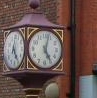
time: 5:02
